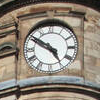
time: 4:50
